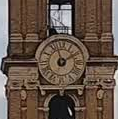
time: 1:57
